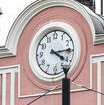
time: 4:14
